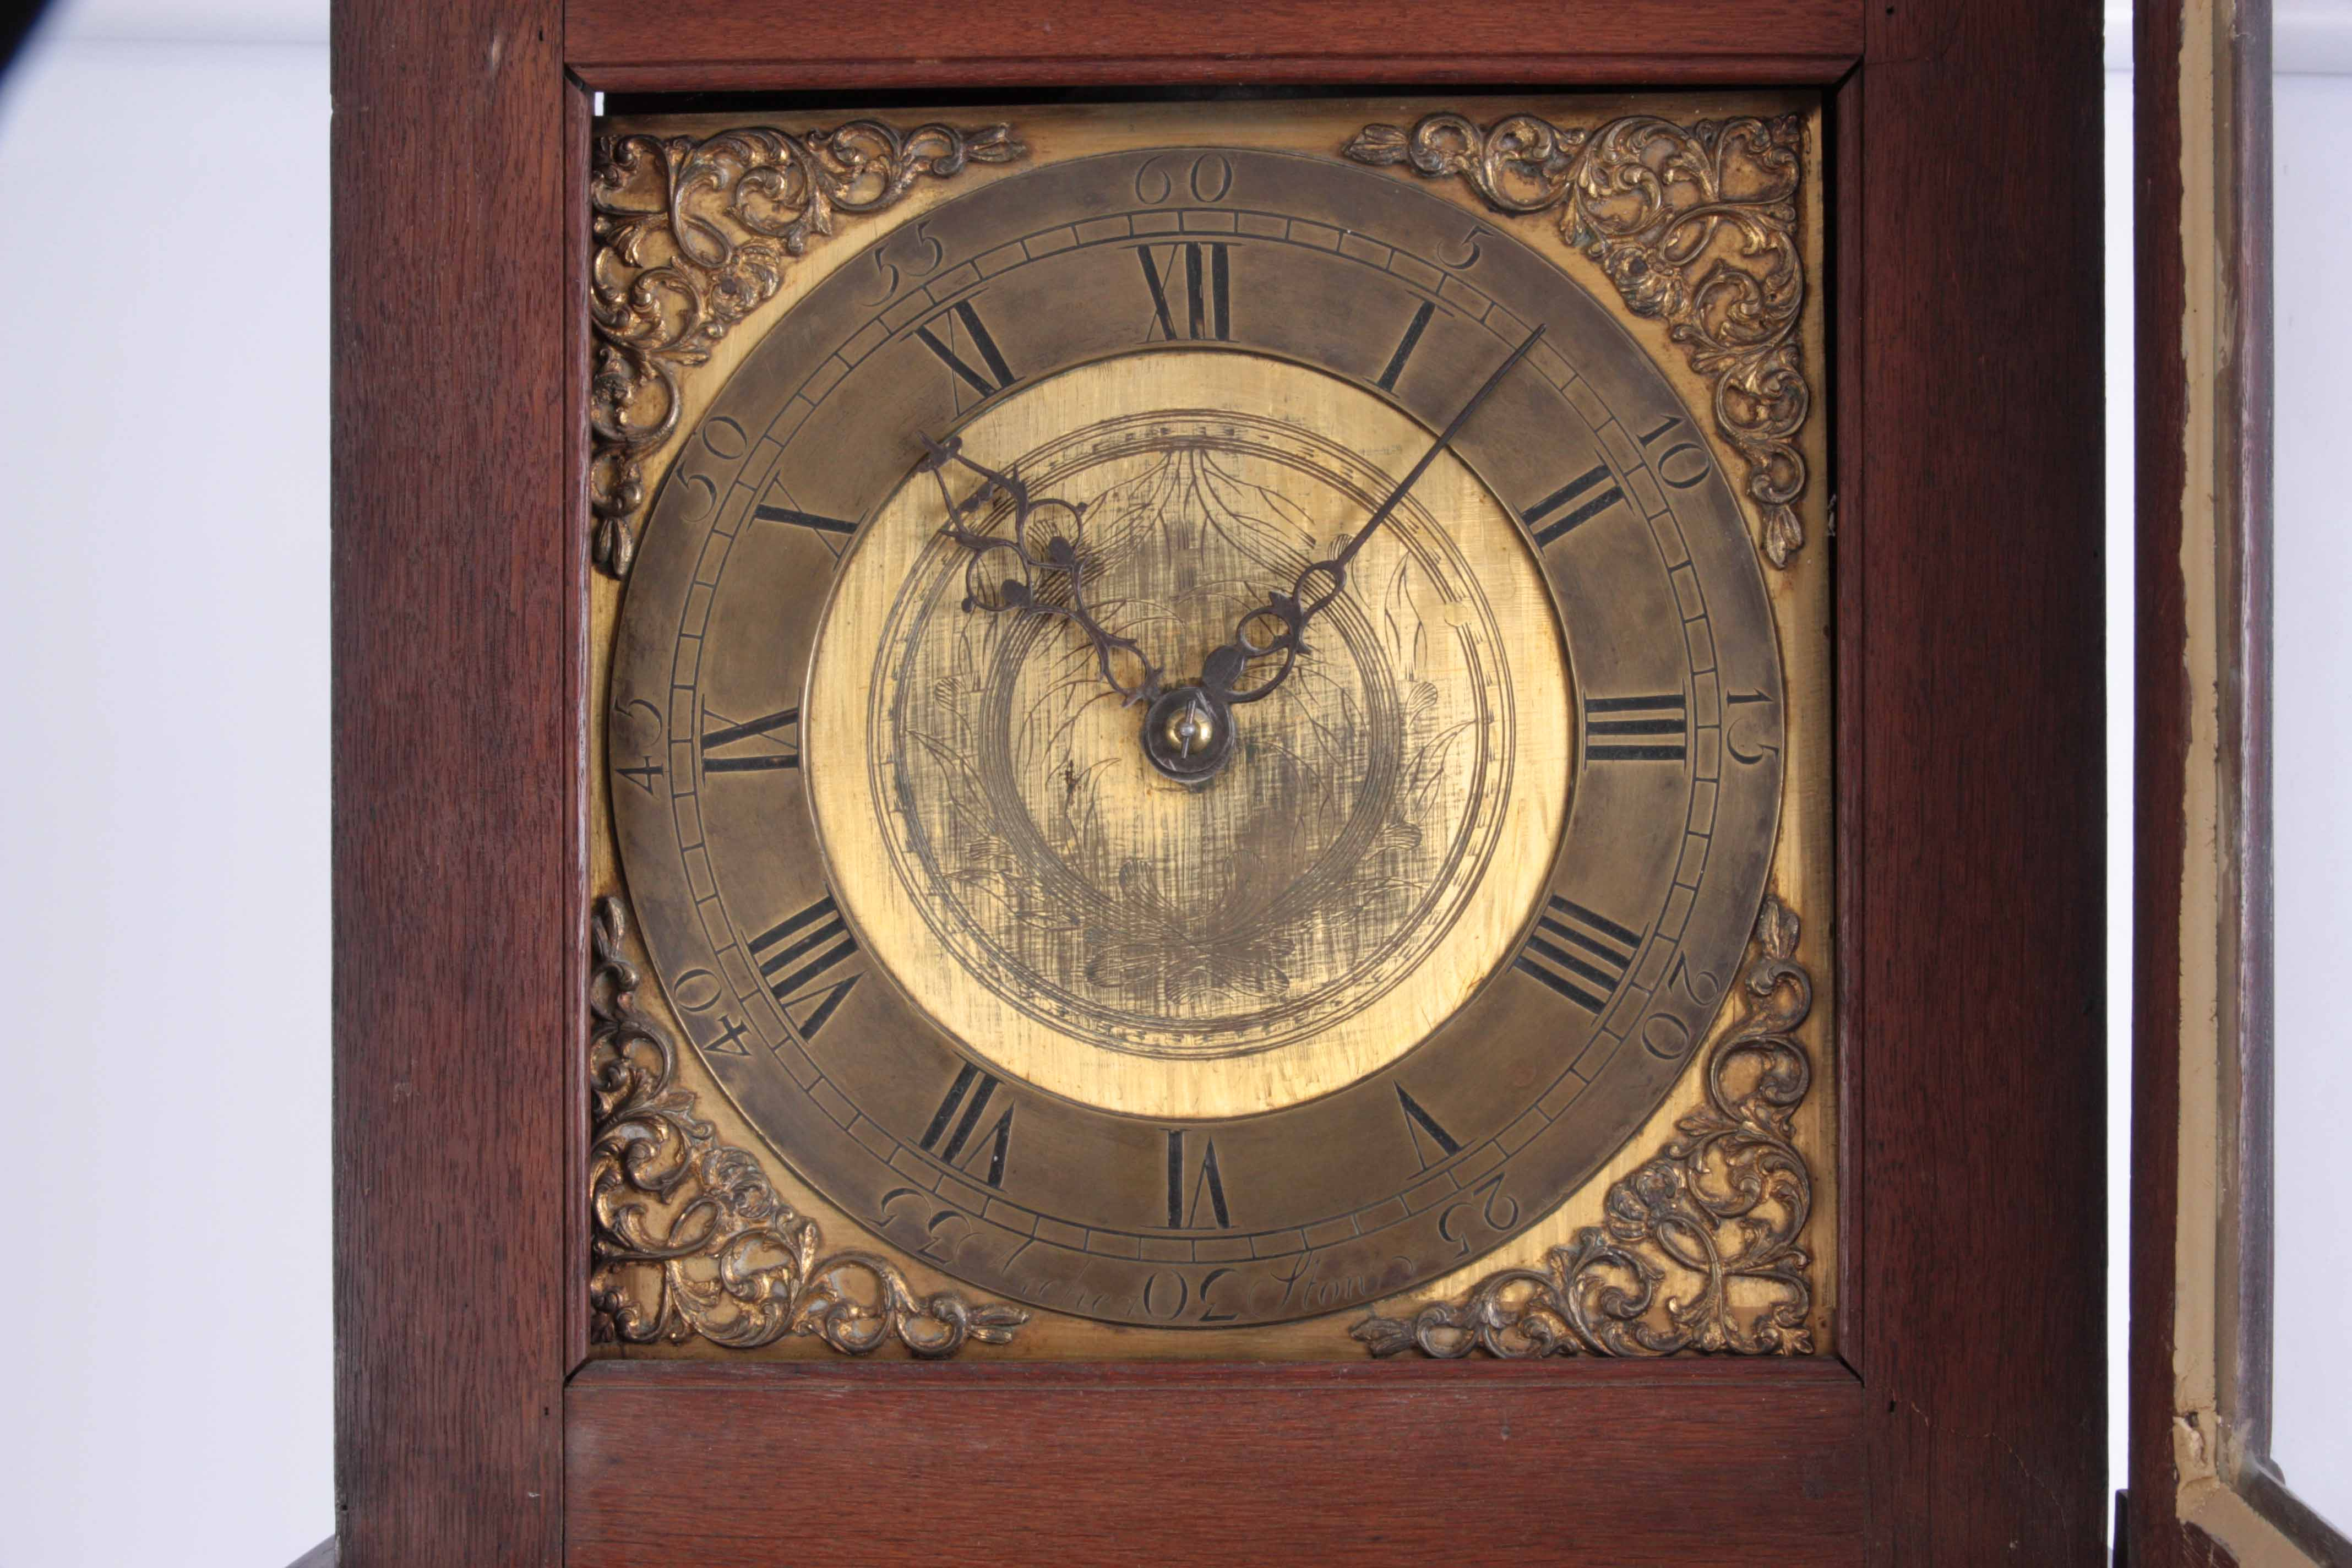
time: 10:07
